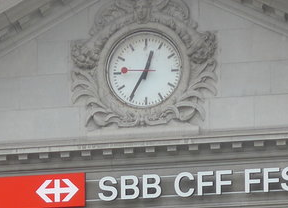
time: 12:34
